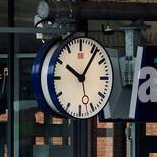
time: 10:06
